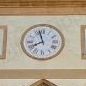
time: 7:57
